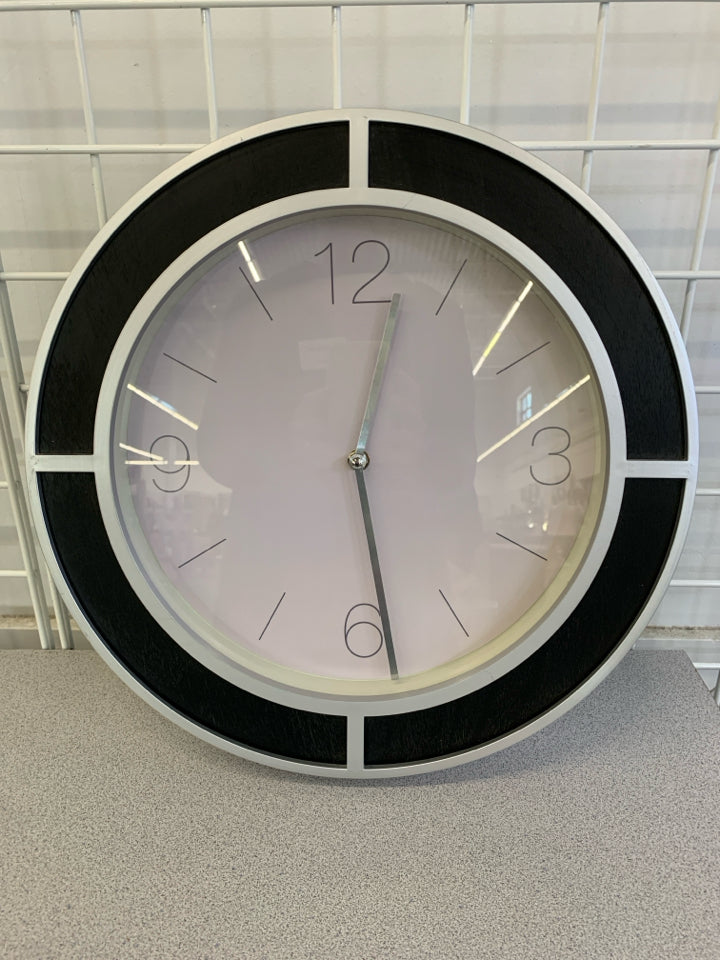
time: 12:28
